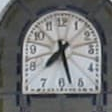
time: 7:27
